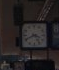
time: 3:40
